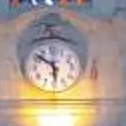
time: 5:51
